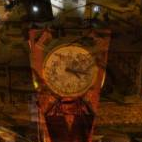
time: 4:16
